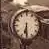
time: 6:29
